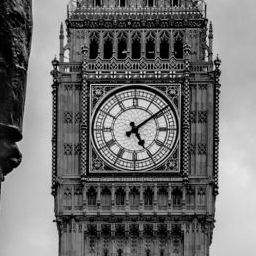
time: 5:08
